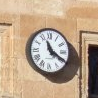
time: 11:19
